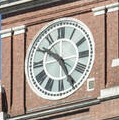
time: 10:25
